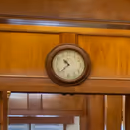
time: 10:37
